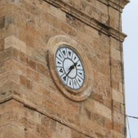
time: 1:36
